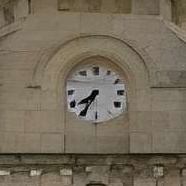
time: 7:34
